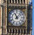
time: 11:07
